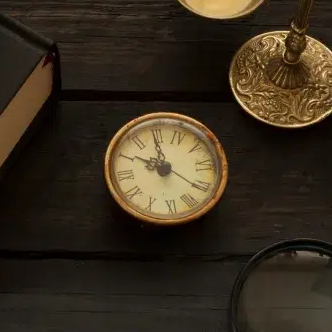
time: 9:59
